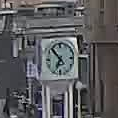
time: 6:52
